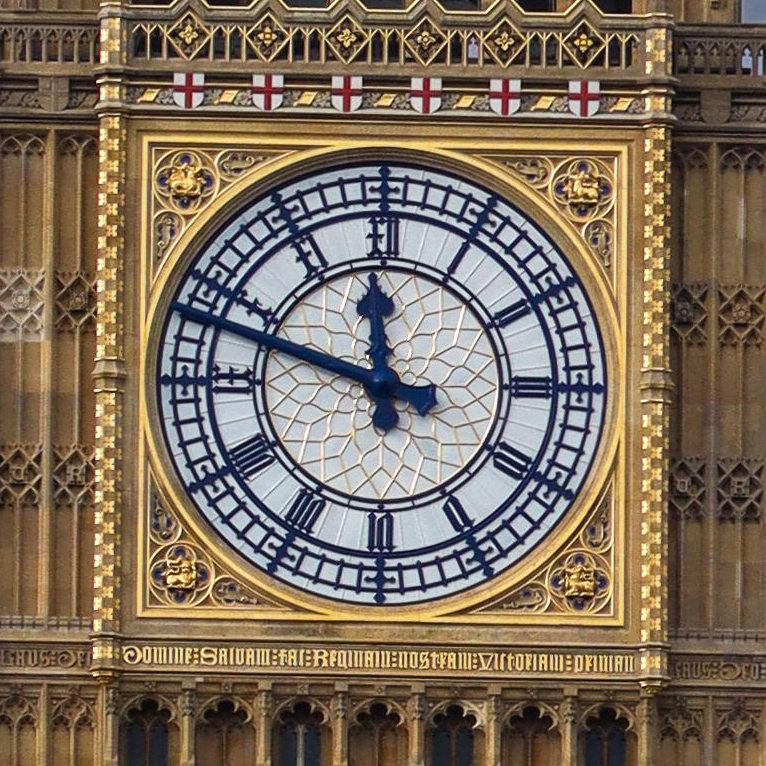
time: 11:47
